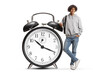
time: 10:19
